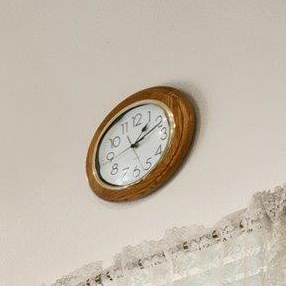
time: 1:10
